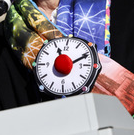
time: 11:10
